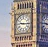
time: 9:15
